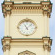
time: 11:07
